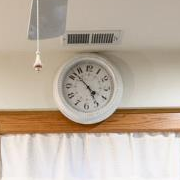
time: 4:52
